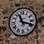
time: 11:18
